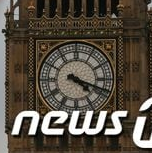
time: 4:18
